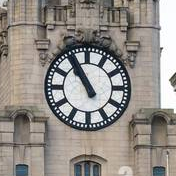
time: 10:55
